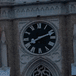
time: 8:11
